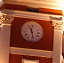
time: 11:28
